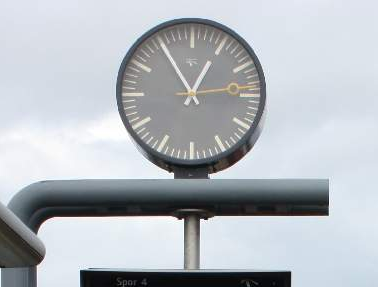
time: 12:54
